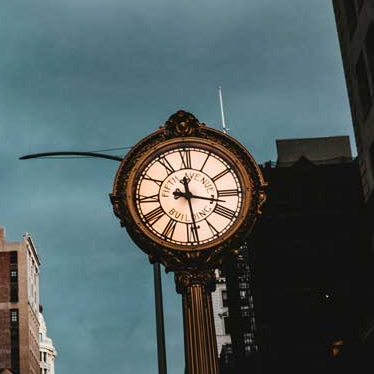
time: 3:28
